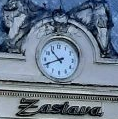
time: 10:41
